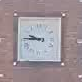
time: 9:45
